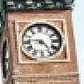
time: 4:46
